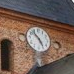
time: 4:52
